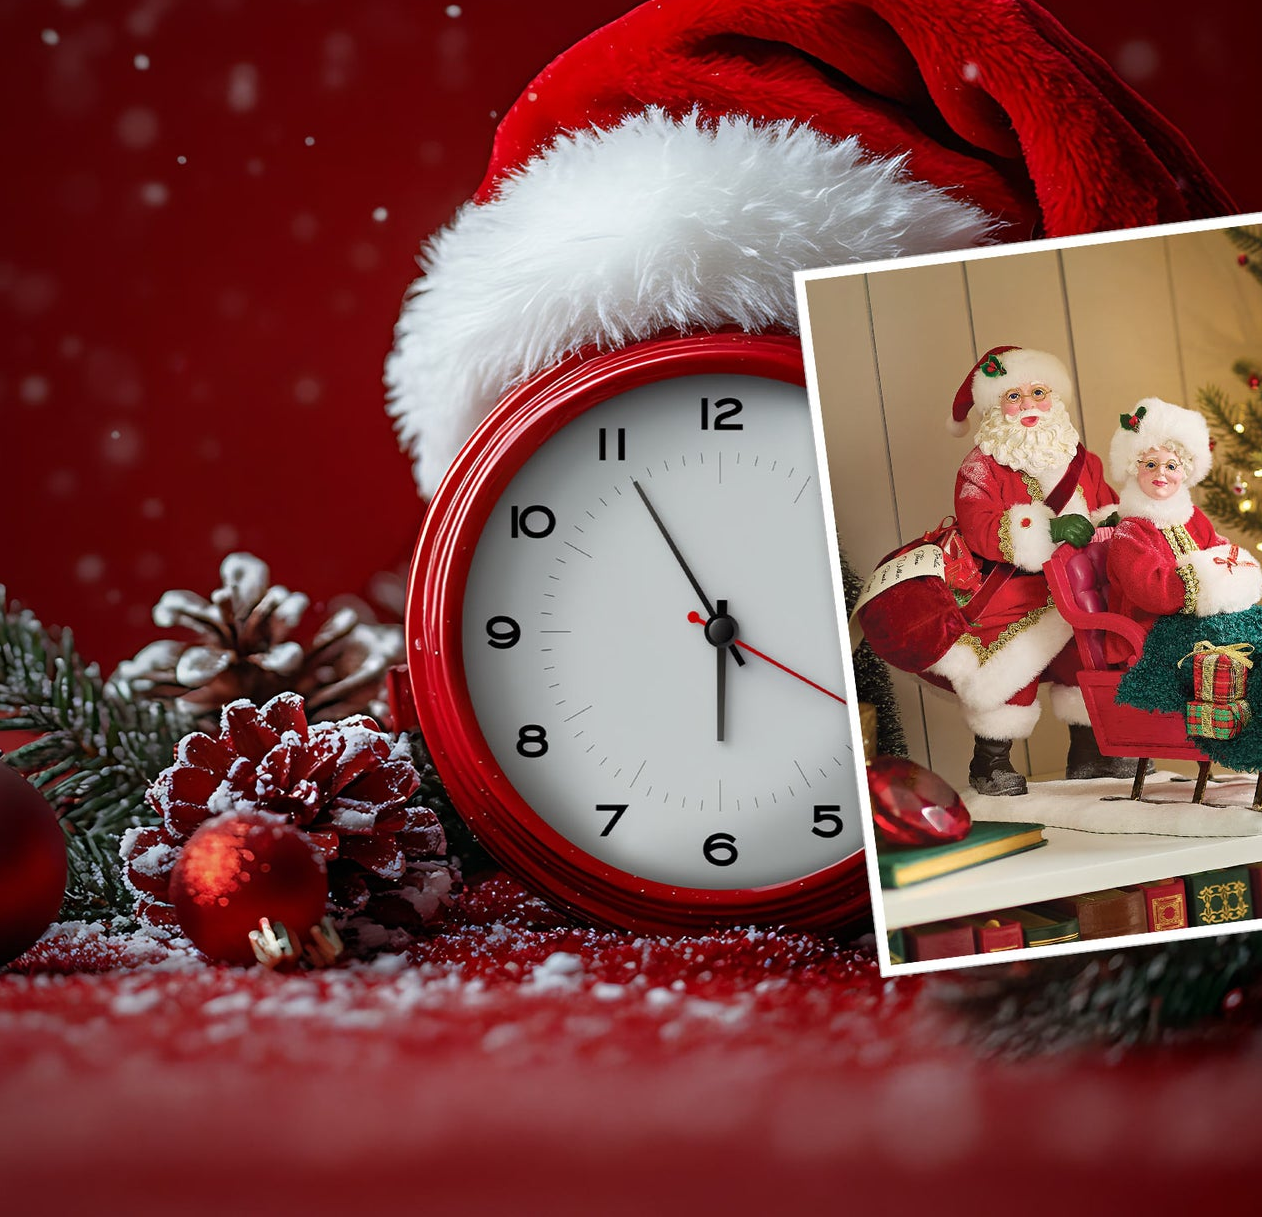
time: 5:54
